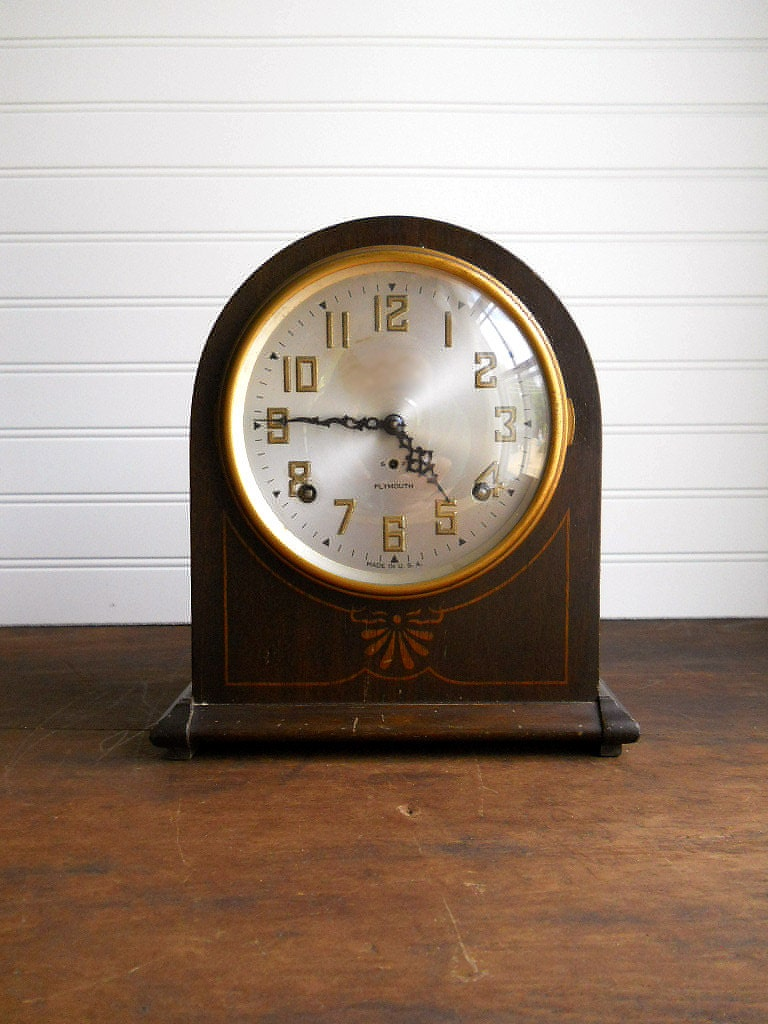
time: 4:45
